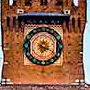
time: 6:18
